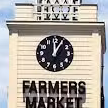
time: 12:05
